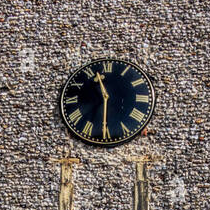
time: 11:30
